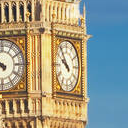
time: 9:53
